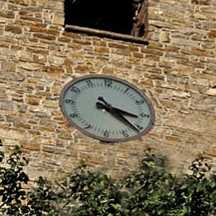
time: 3:21
